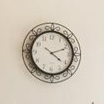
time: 4:12
